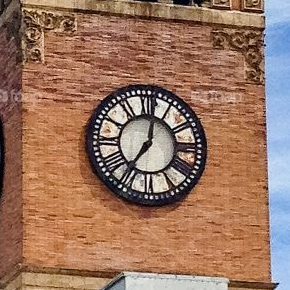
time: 7:01
